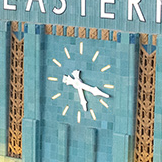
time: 5:17
